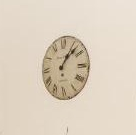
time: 1:07
